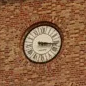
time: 3:16
